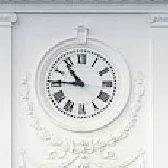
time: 10:45
